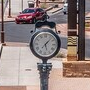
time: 7:07
